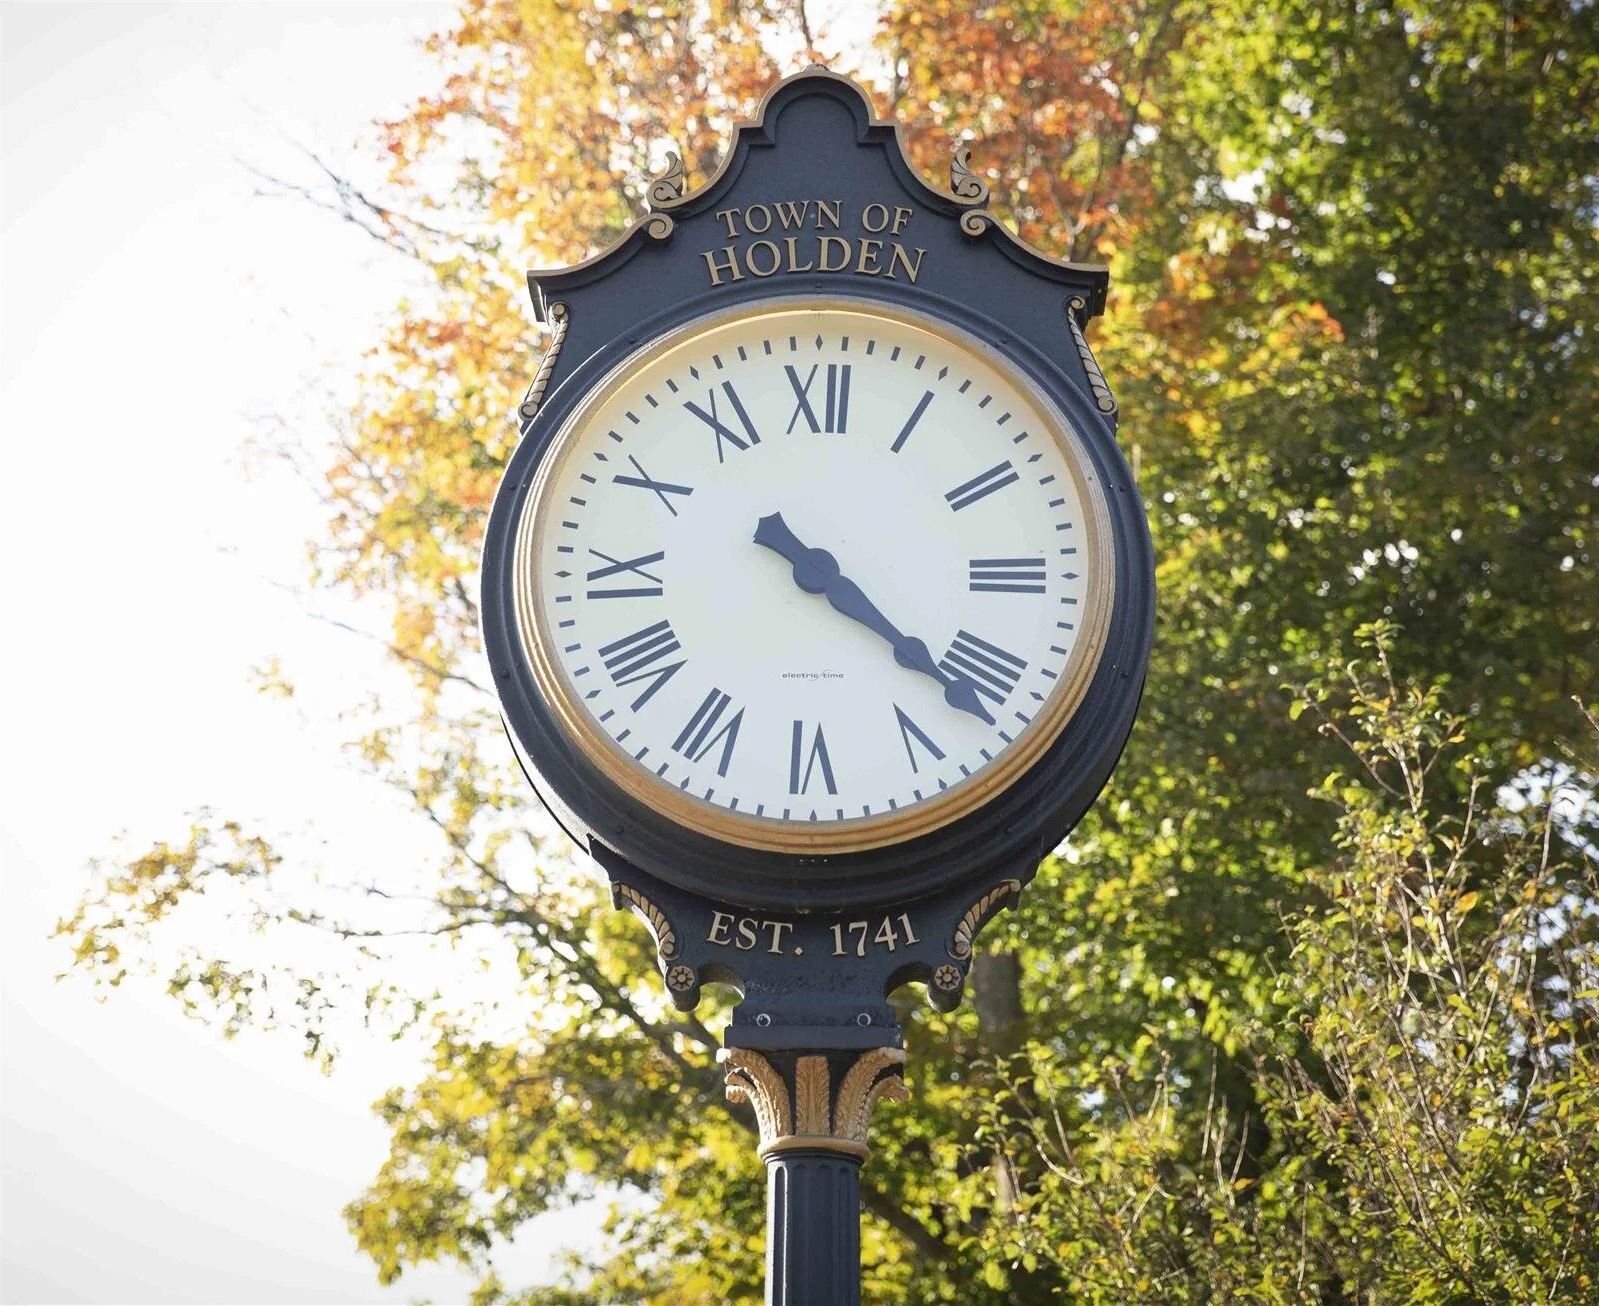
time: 4:21
